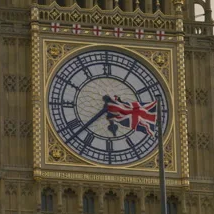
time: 5:37
